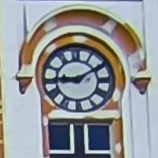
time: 9:10
